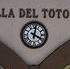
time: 4:01
